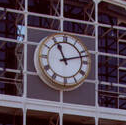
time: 11:12
